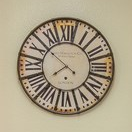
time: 7:51
